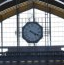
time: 4:18
